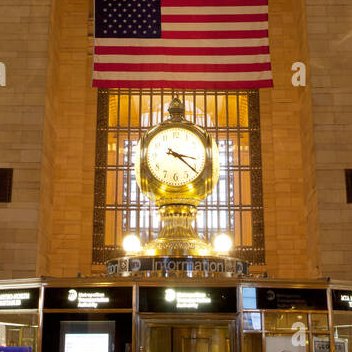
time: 3:20
